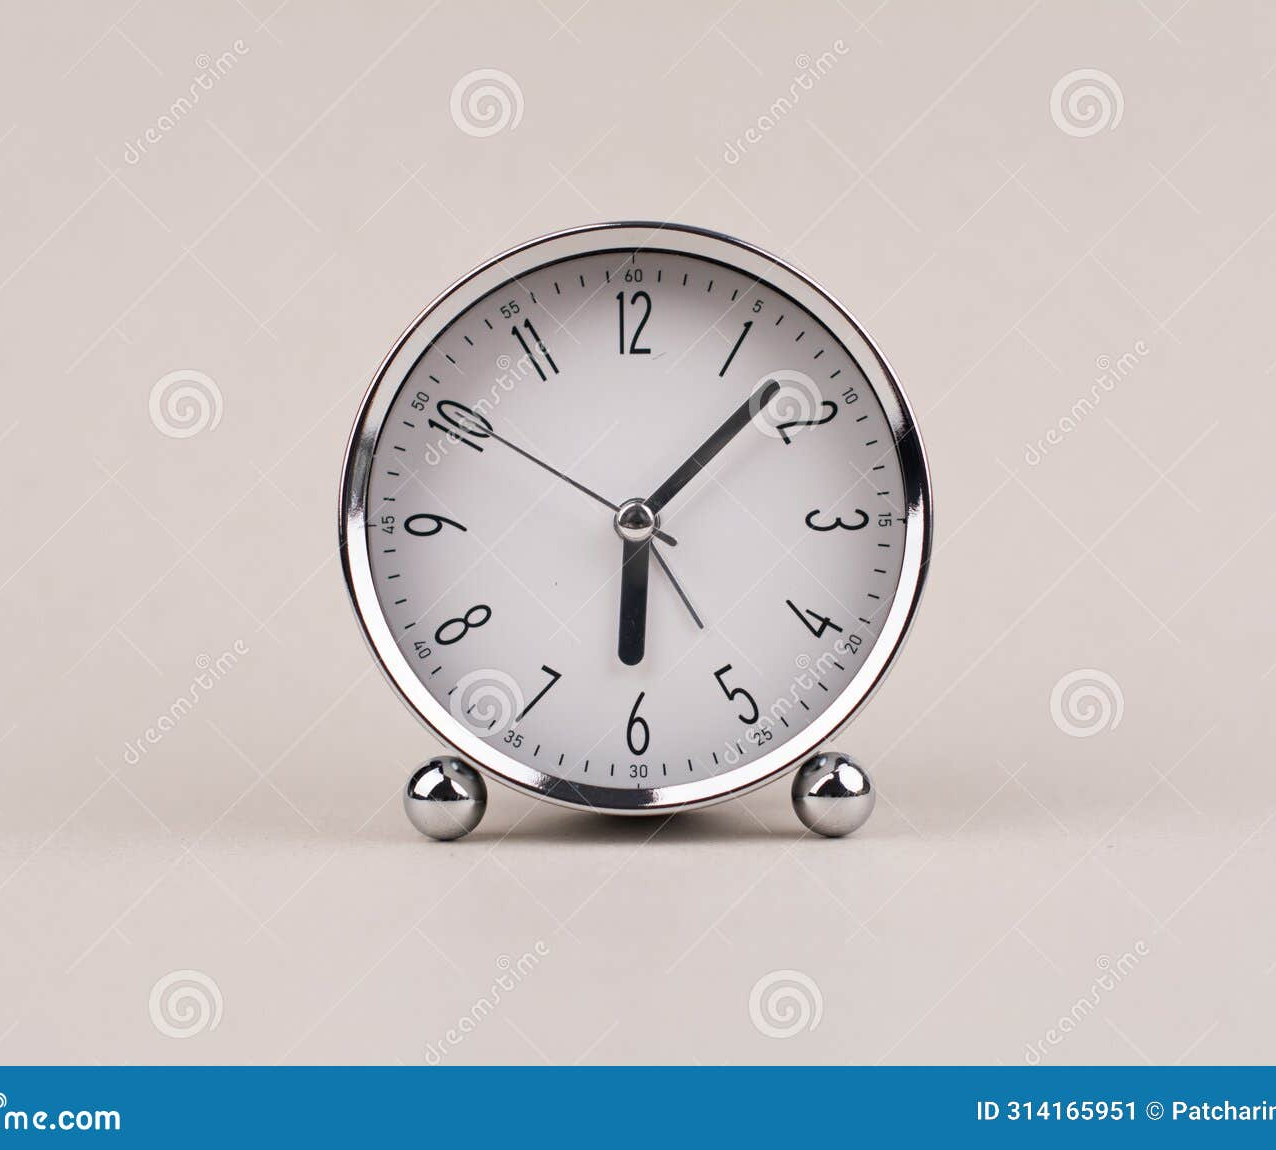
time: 6:07
